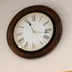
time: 11:16
